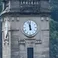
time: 11:58
